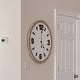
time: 4:00
